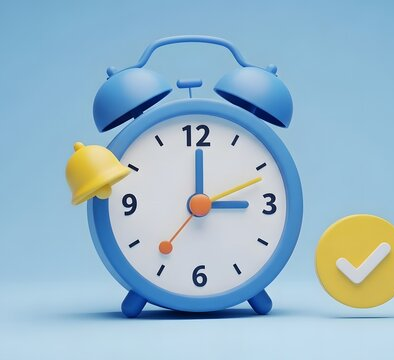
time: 3:00
